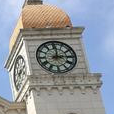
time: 12:14
